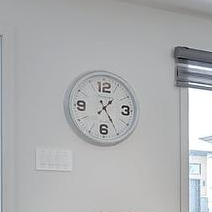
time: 1:24
